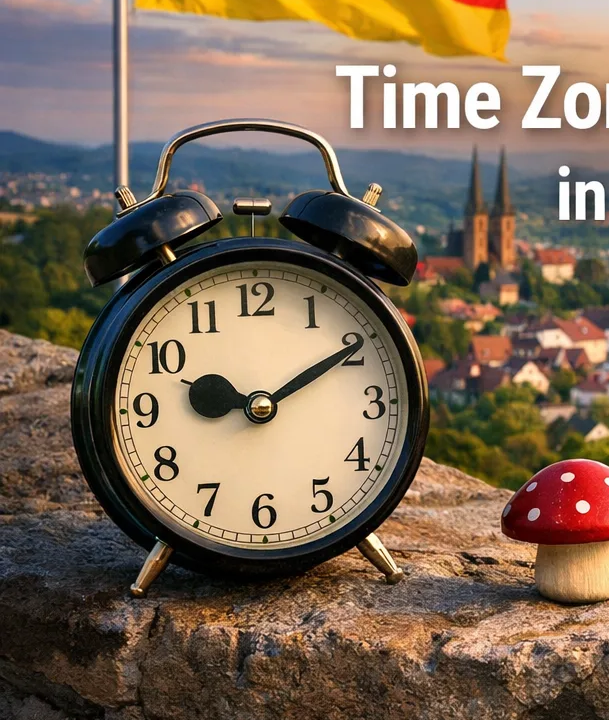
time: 9:10
